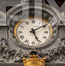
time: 5:09
